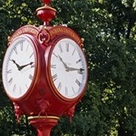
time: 10:13
